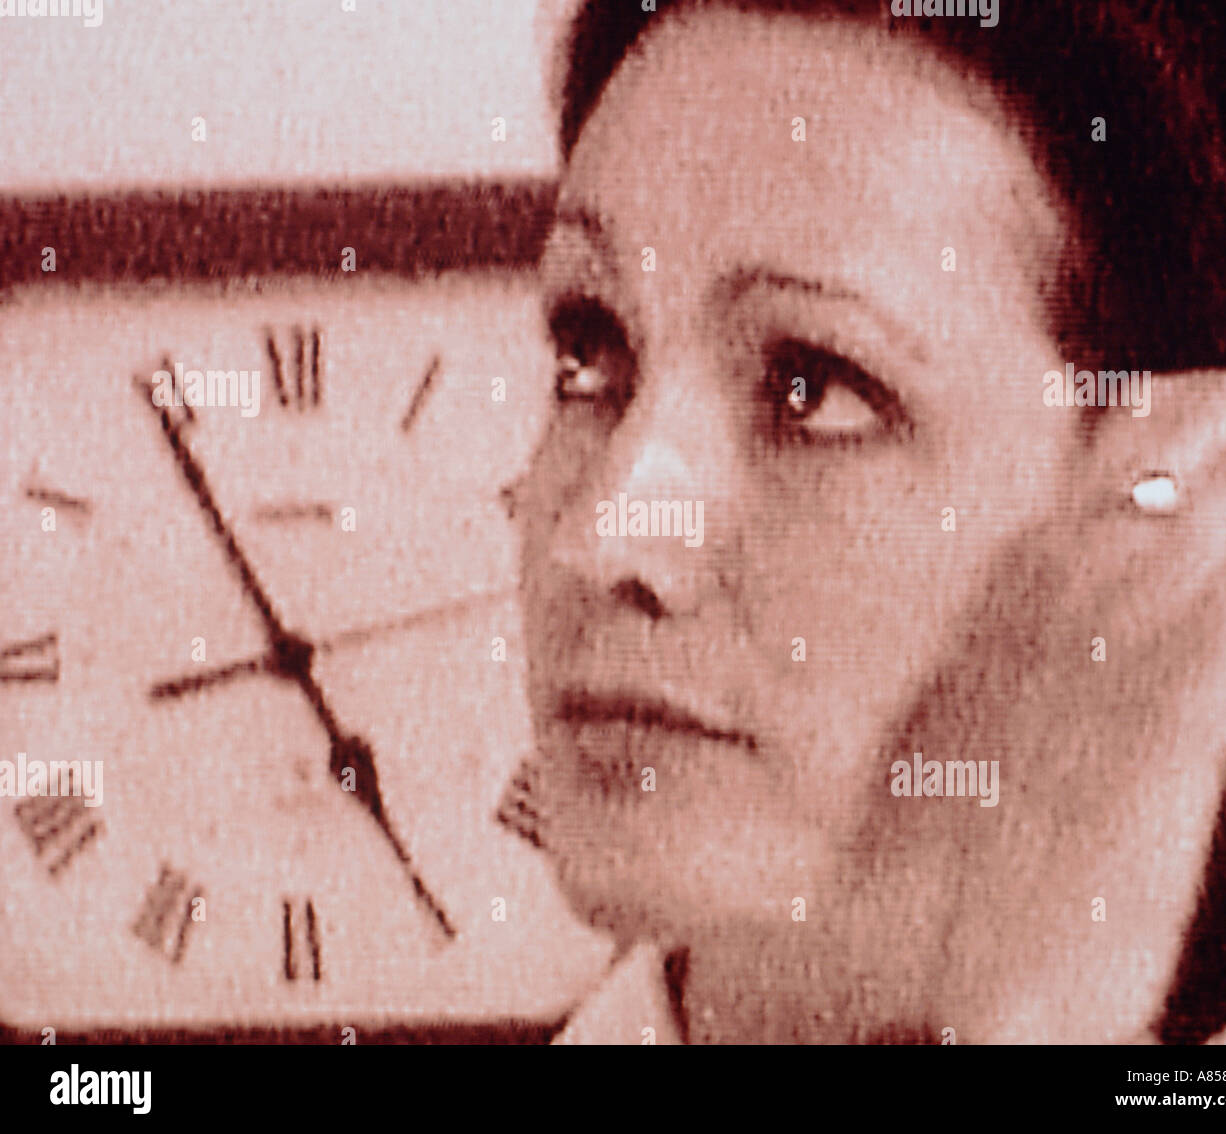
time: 4:54
